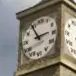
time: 2:54
